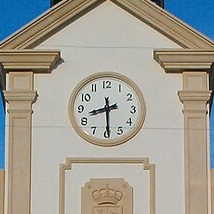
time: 8:29
